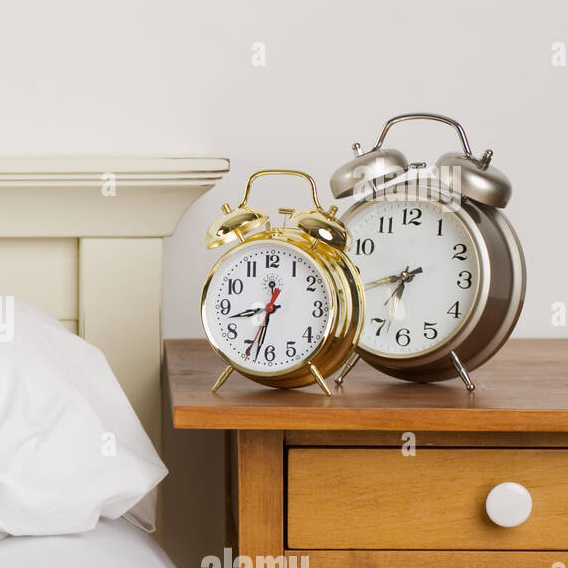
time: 8:32
